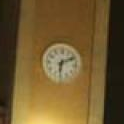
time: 6:10
